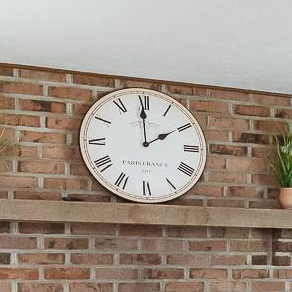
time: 1:59
